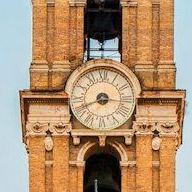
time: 8:16
